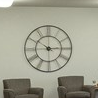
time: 2:50
